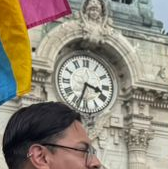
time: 3:33
